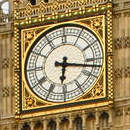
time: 6:17
